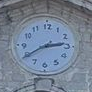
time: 2:39
